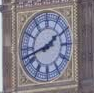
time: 1:42
